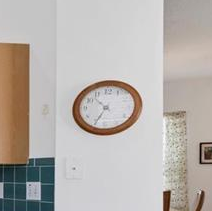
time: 10:34
